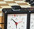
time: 5:51
